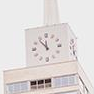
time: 11:53
